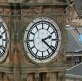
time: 2:21
